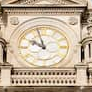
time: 9:56
